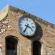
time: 3:34
